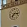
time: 7:15
